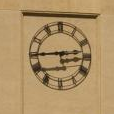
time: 2:44
